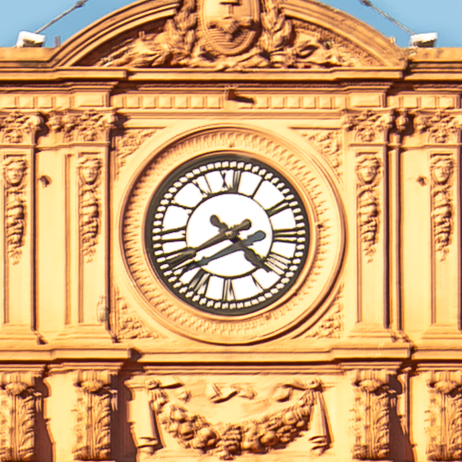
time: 4:40
